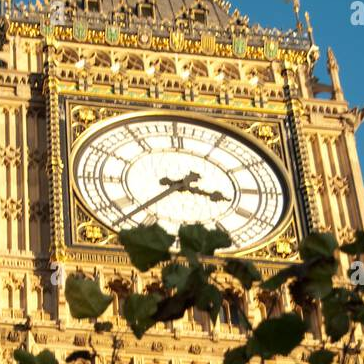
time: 3:37
